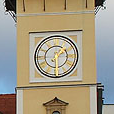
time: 1:29
